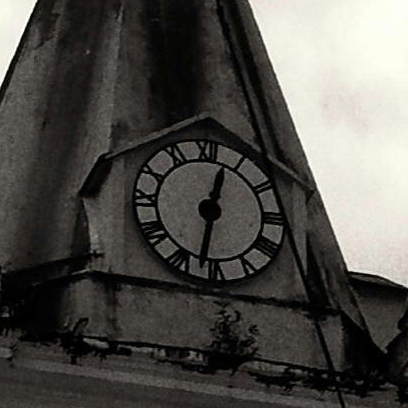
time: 12:32
